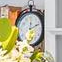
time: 12:11
